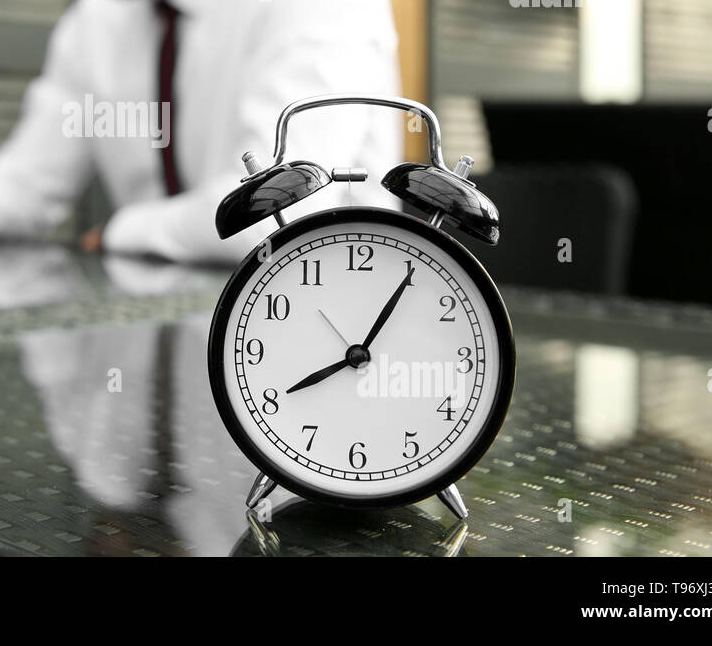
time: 8:05
